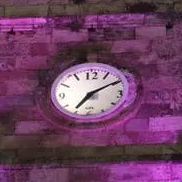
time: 7:09
